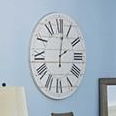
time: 2:01
